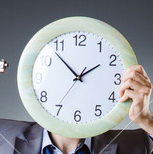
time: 1:53
